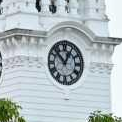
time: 12:52
